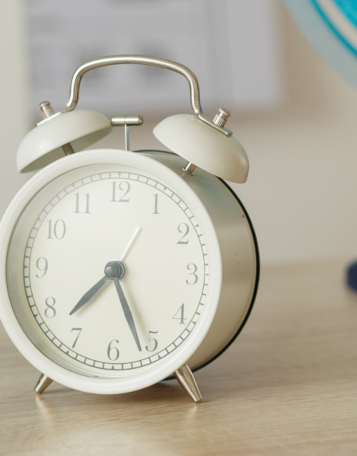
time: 7:26
